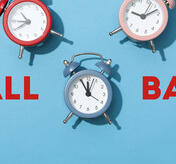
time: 11:55
